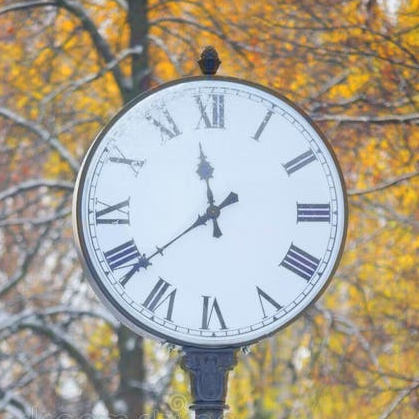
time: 11:38
